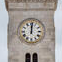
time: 12:01
